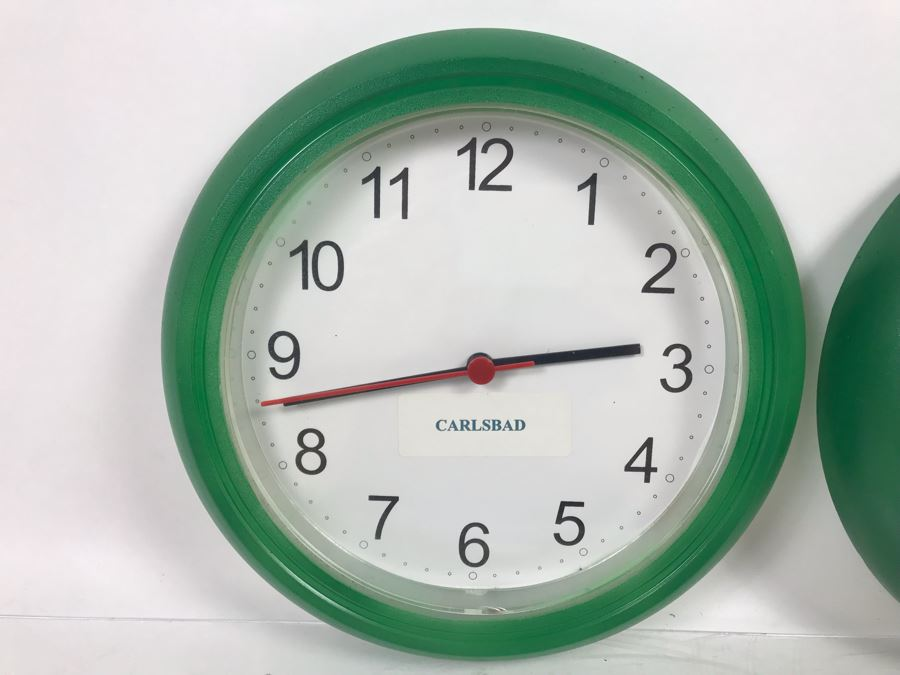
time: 2:42
